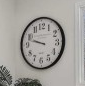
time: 9:47
